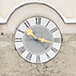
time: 10:16
